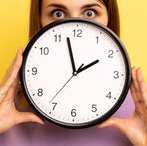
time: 1:57
